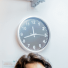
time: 11:42
